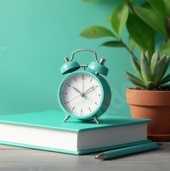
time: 1:50
